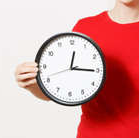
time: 12:15
